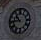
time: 10:45
